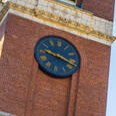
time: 9:17
